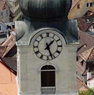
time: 1:26
